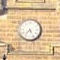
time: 7:25
